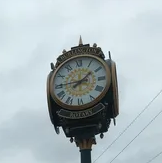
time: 1:44
